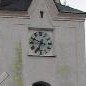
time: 6:48
